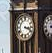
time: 3:19
